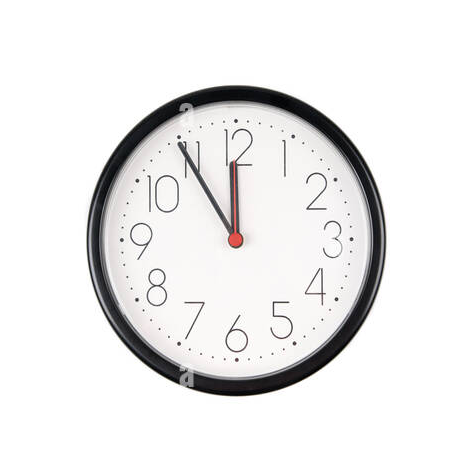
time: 11:54
